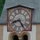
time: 8:24
